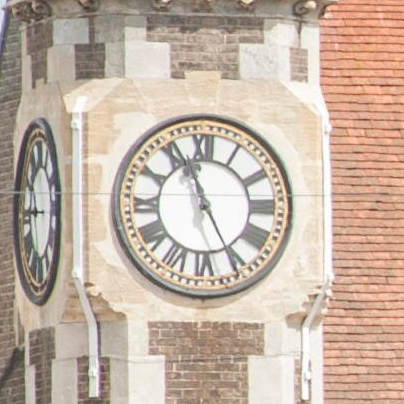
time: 11:25
